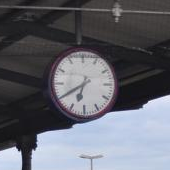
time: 6:39
